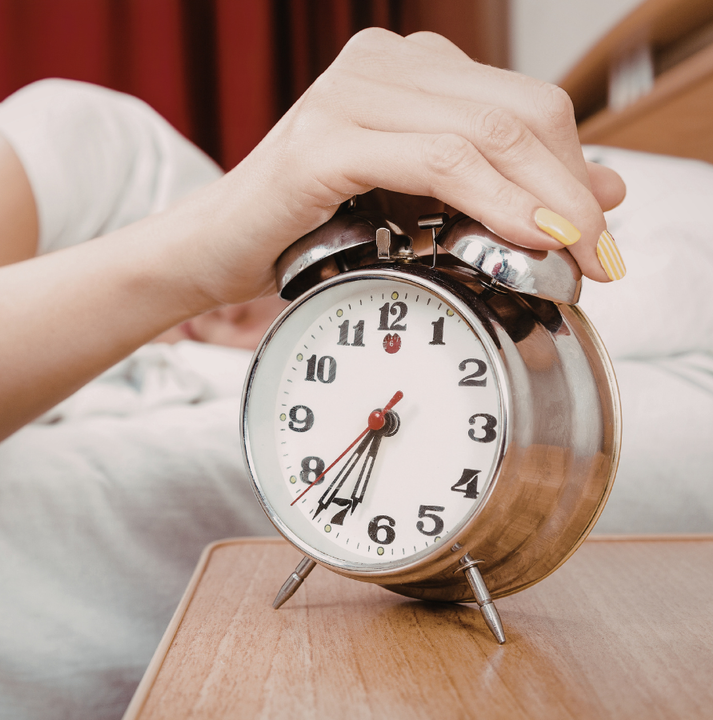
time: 6:36
